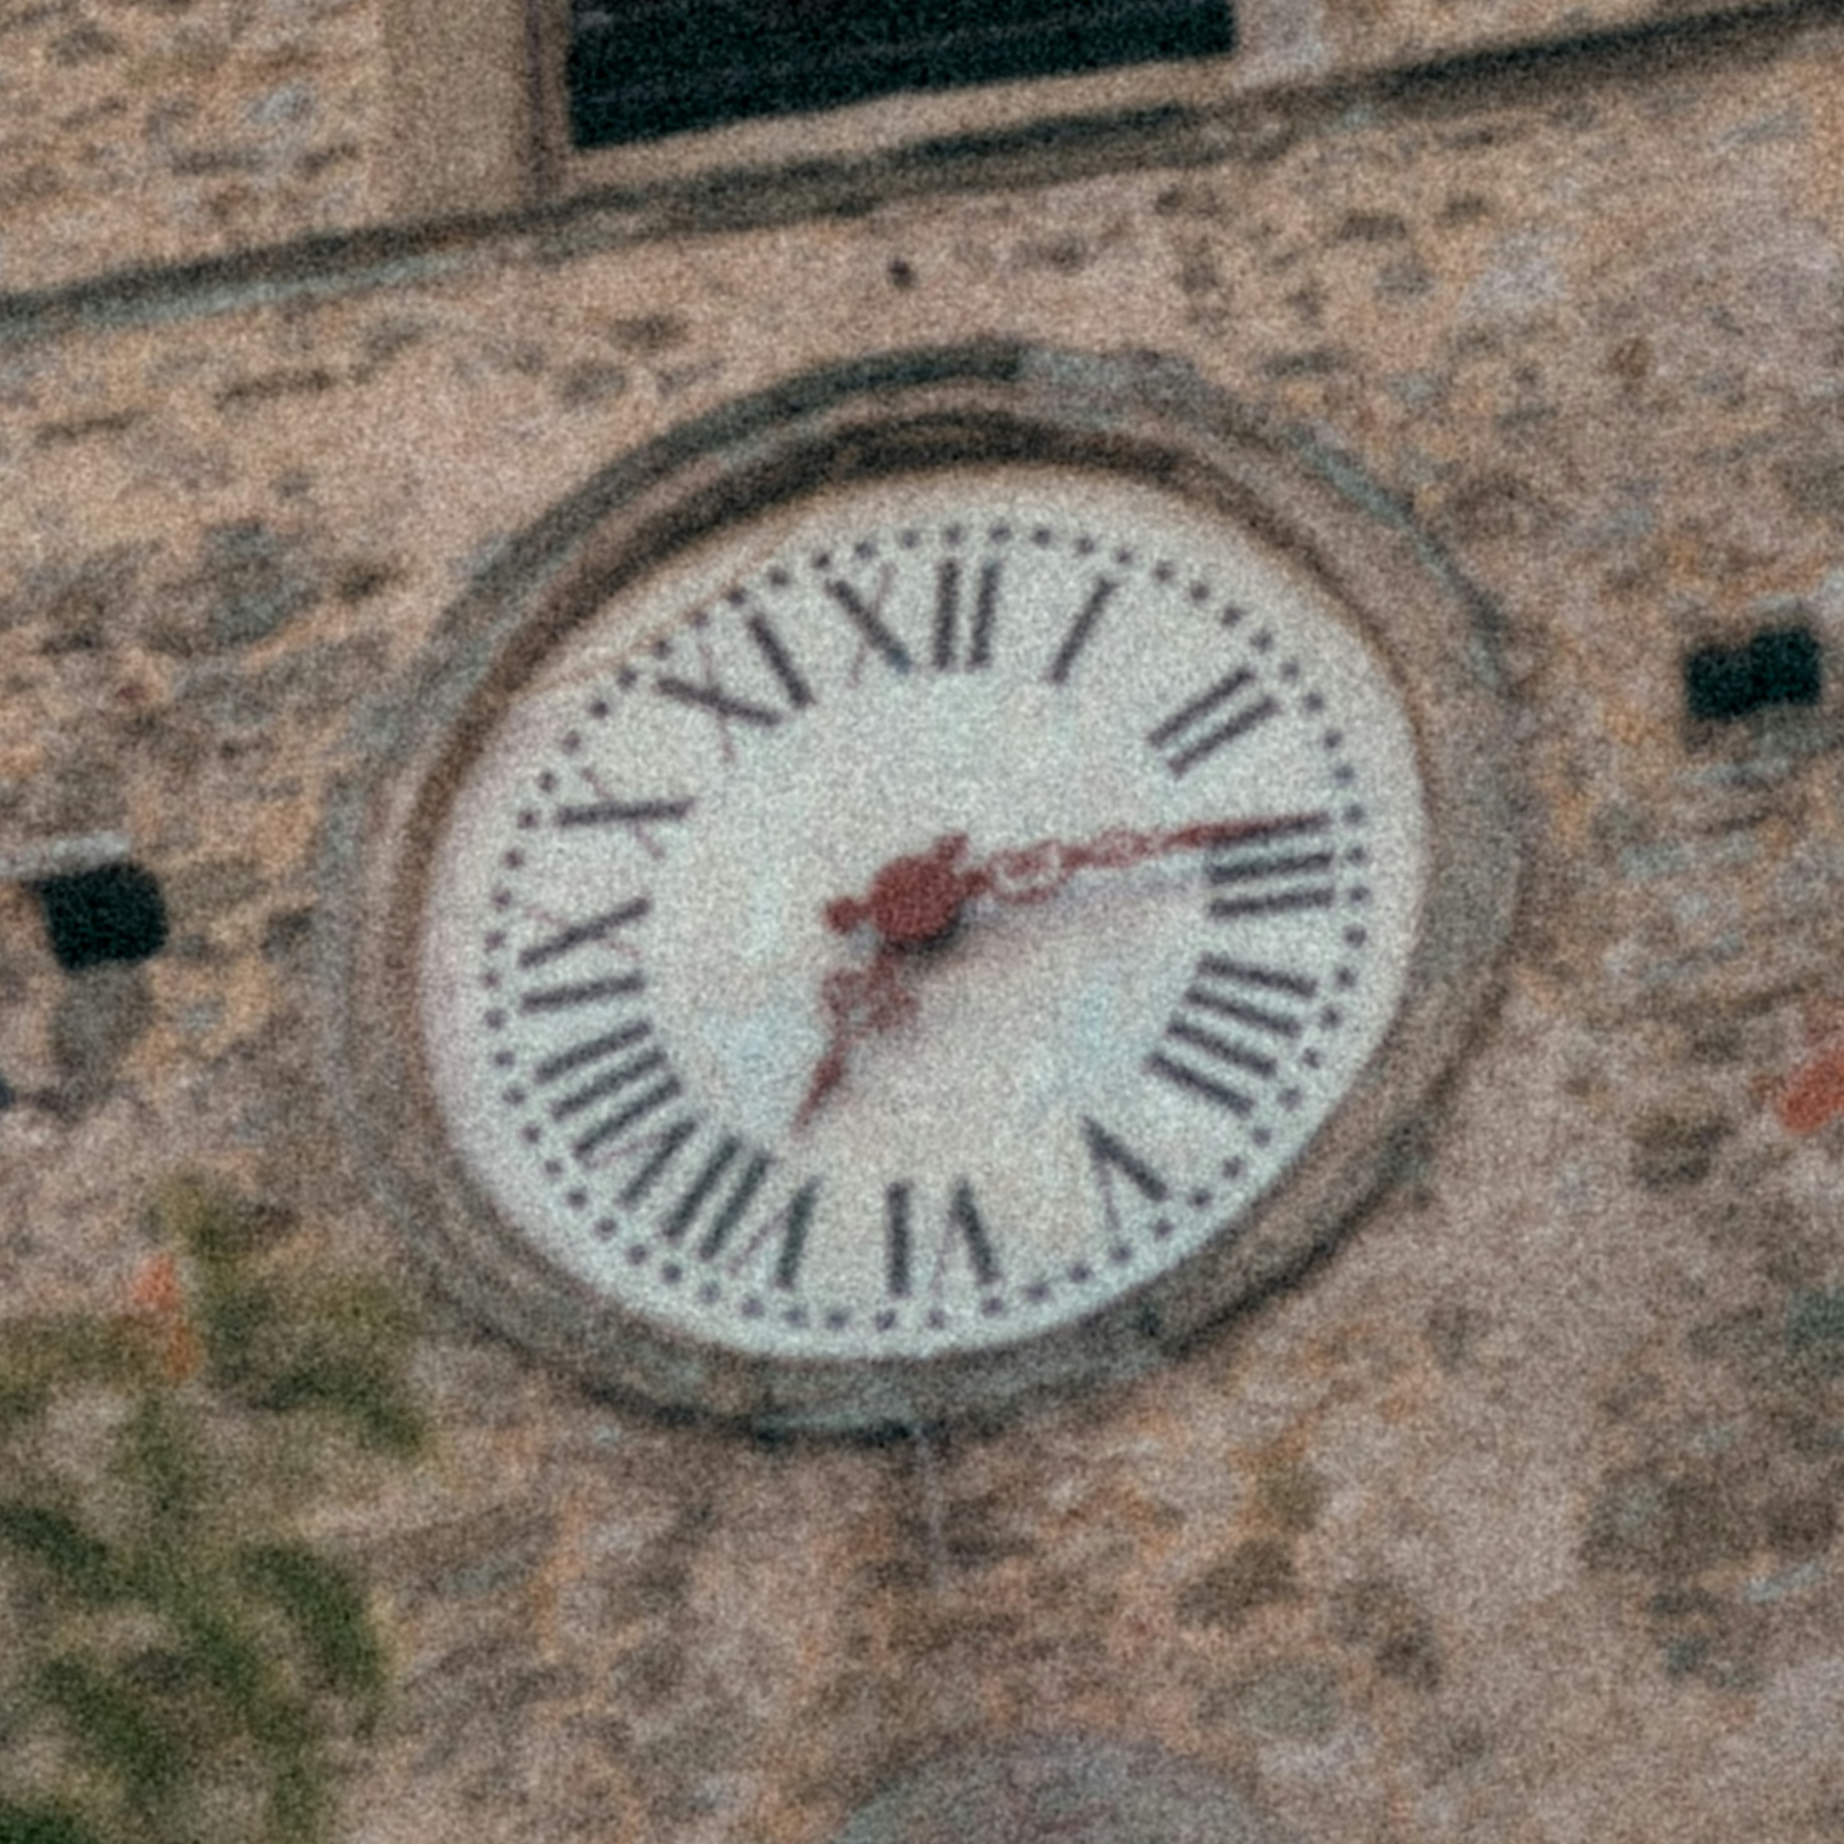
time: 7:13
